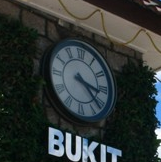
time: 3:22
